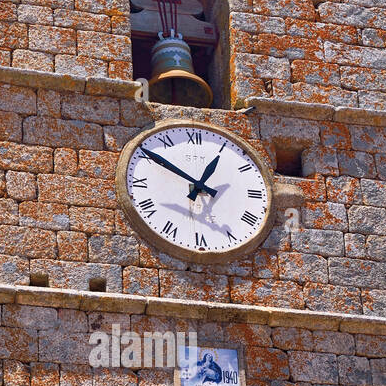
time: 12:50
